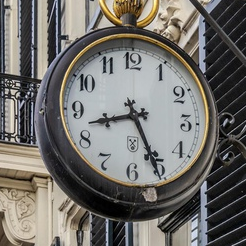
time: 8:25
